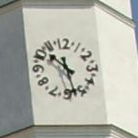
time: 10:28
